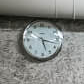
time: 5:17
